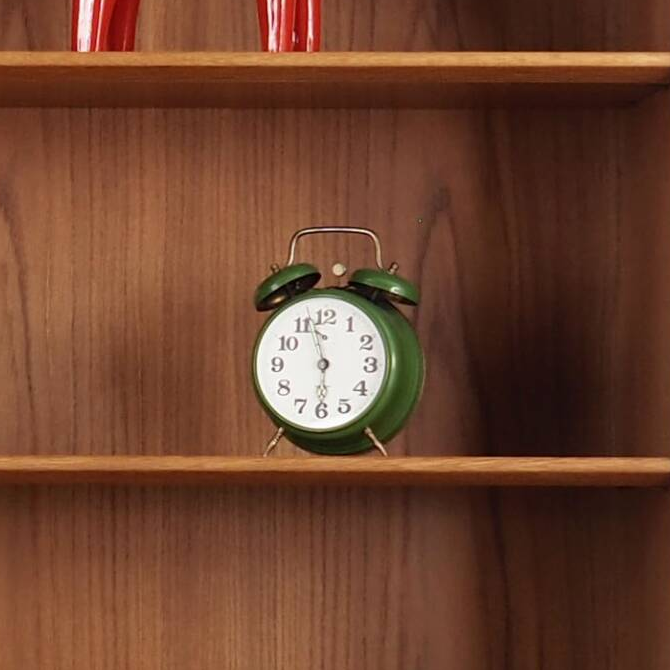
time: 5:57
